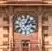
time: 1:12
